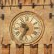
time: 10:34
